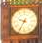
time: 9:35
